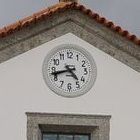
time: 4:42
